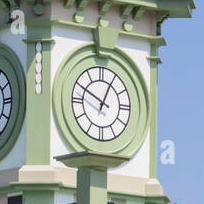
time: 12:49
